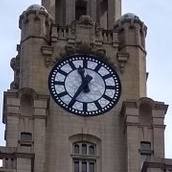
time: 11:35
